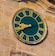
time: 8:40
